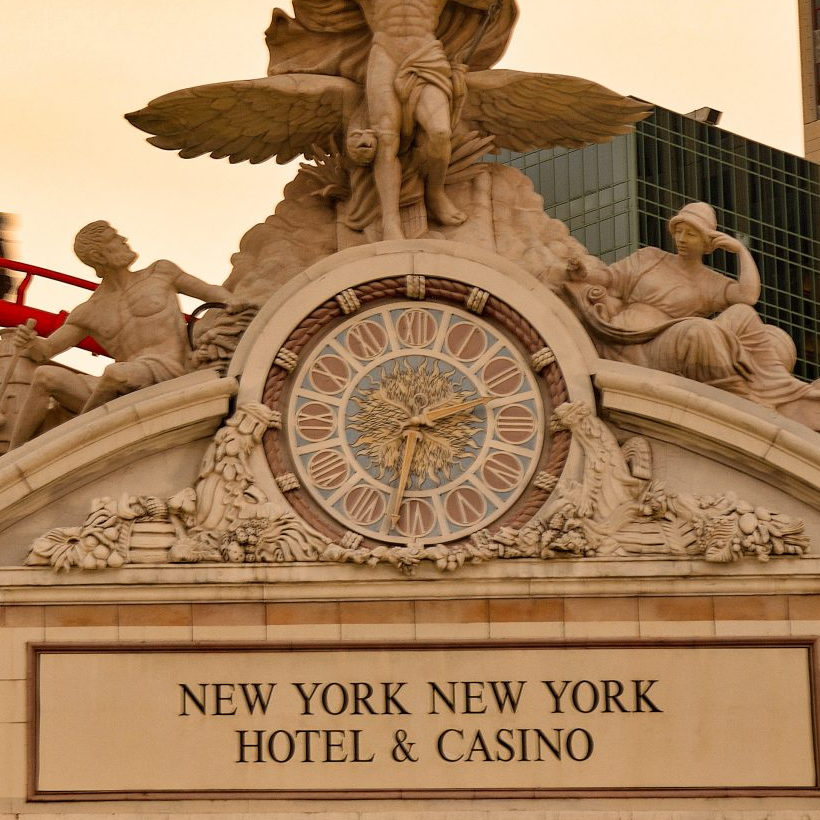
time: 2:31
